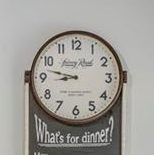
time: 8:47
